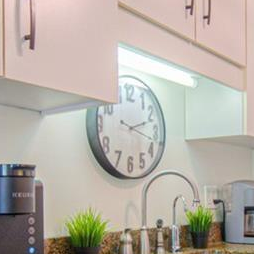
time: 2:18
